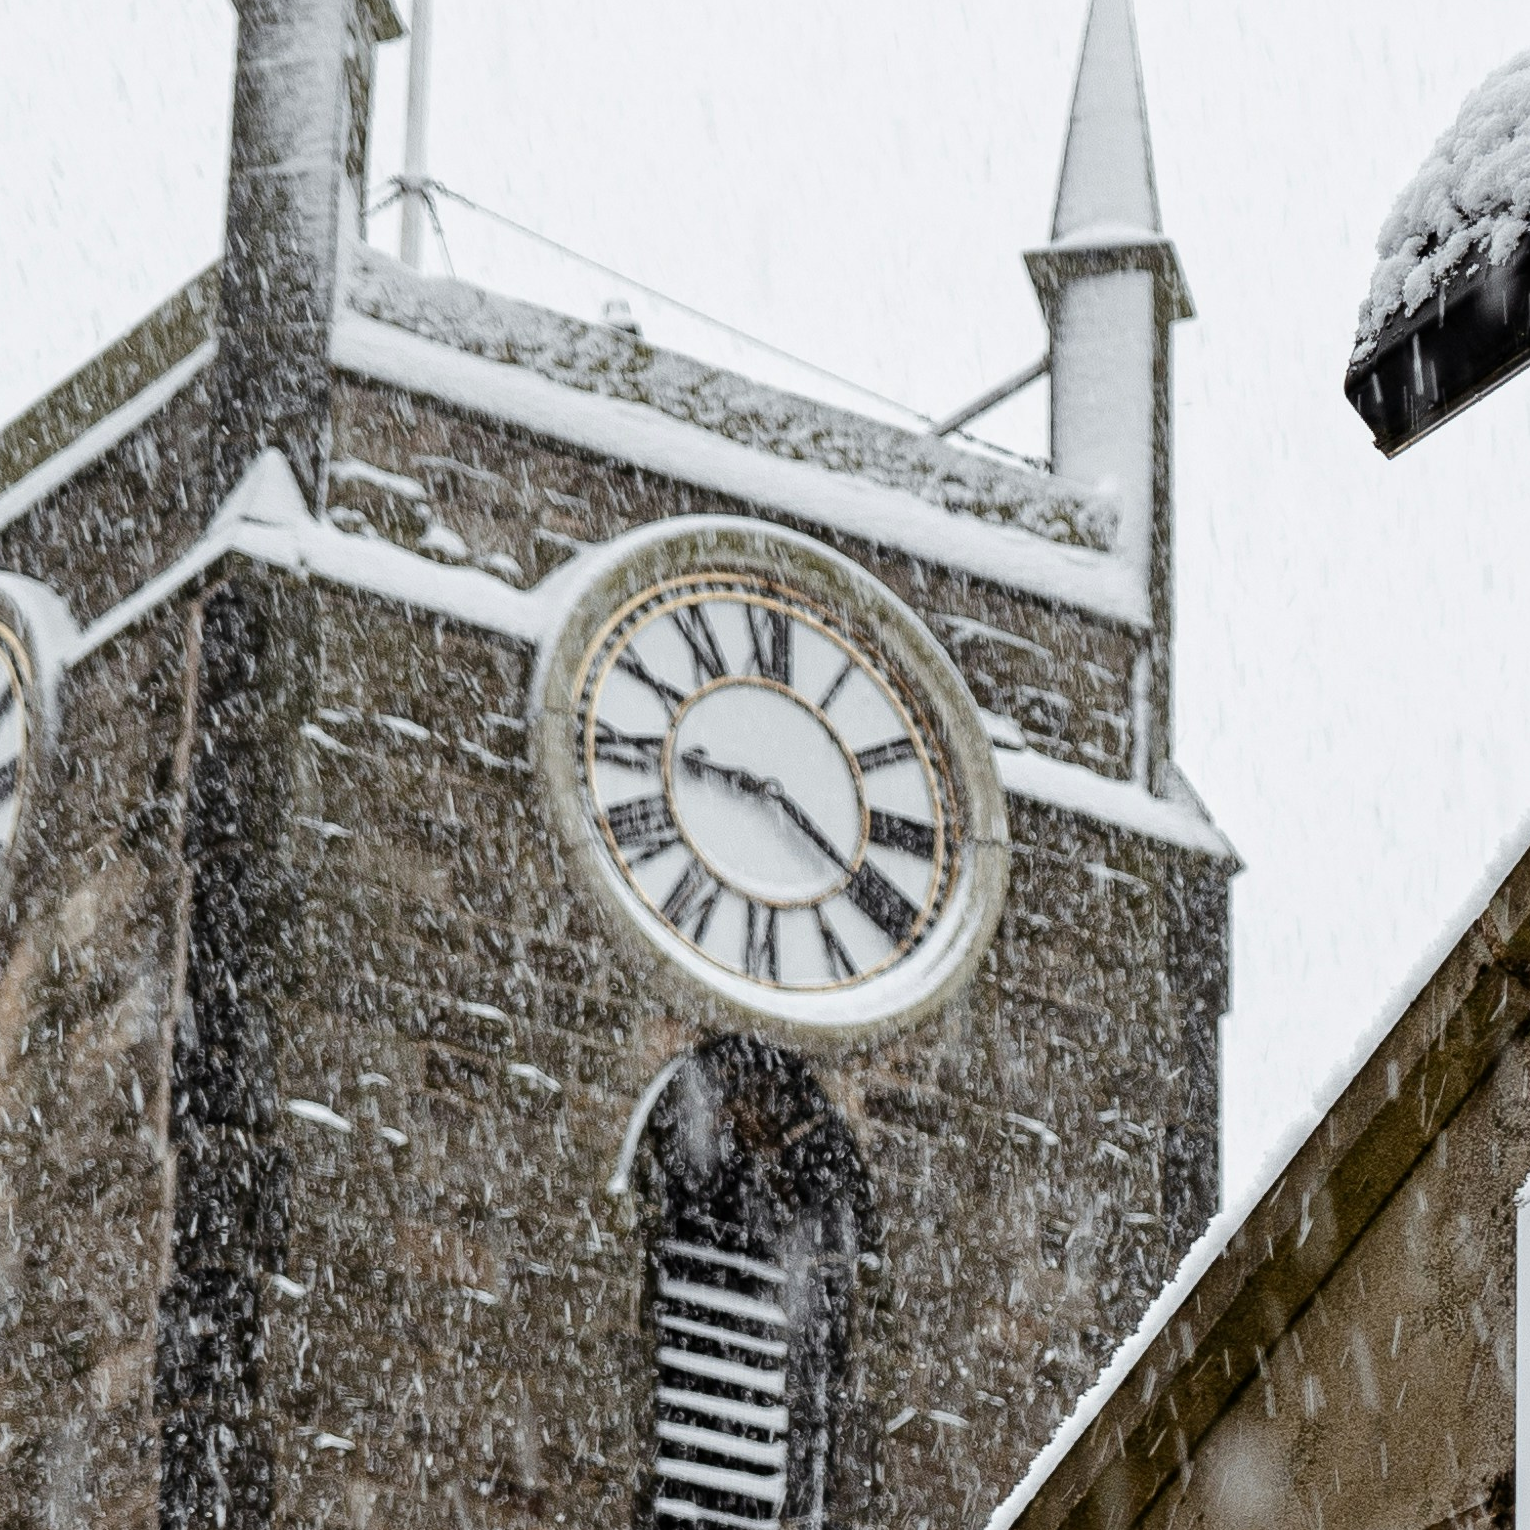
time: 9:20
